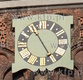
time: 4:54
